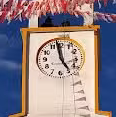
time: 4:58
